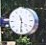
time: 11:31
